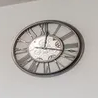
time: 12:17
